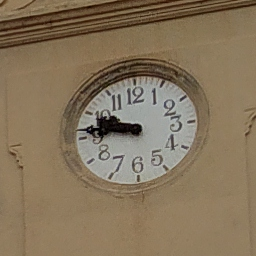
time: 9:46
